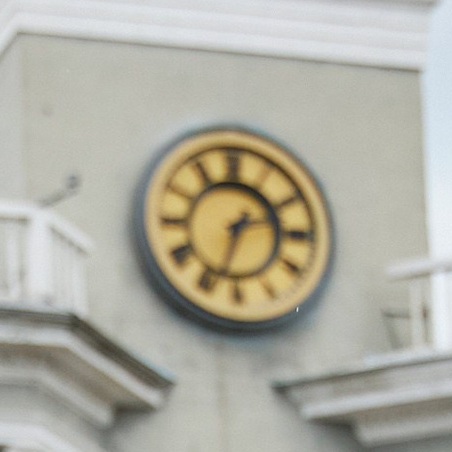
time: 2:33
